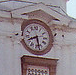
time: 5:40
